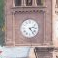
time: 2:23
